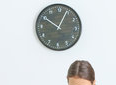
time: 10:04
